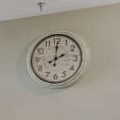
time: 2:00
